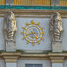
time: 4:42
